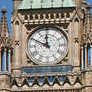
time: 11:49
